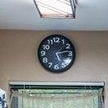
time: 5:13
